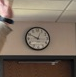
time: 12:49
